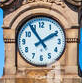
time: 1:54
